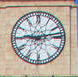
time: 9:12
